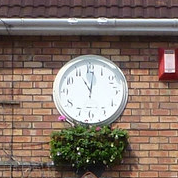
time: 11:01
